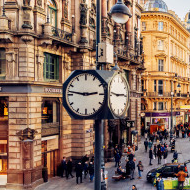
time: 2:46
